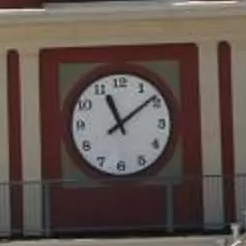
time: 11:08
